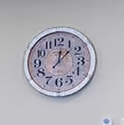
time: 12:07
